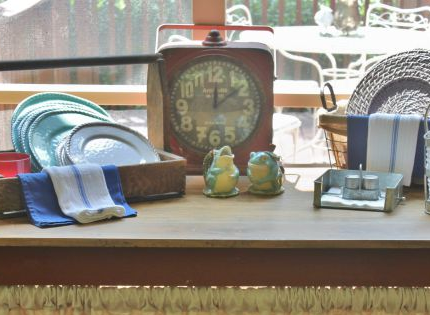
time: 12:09
